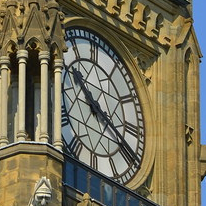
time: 10:18
